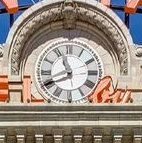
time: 7:56
